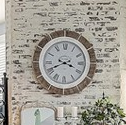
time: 3:41
